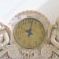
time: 10:02
